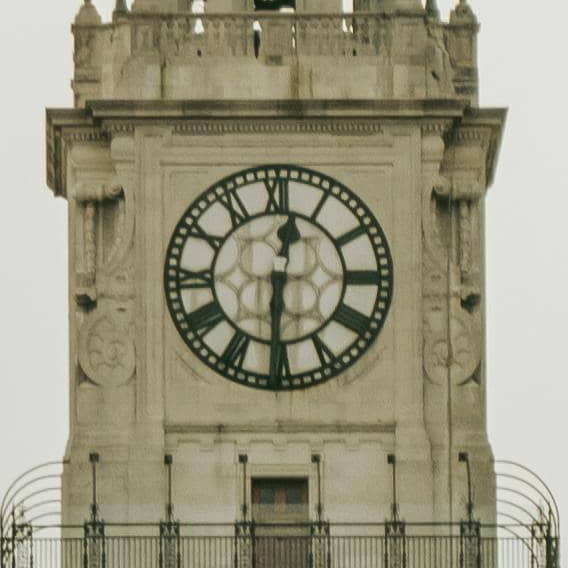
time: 12:30
